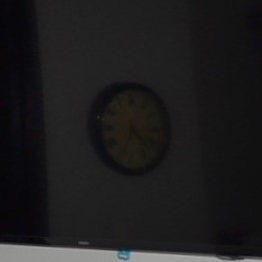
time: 4:34
